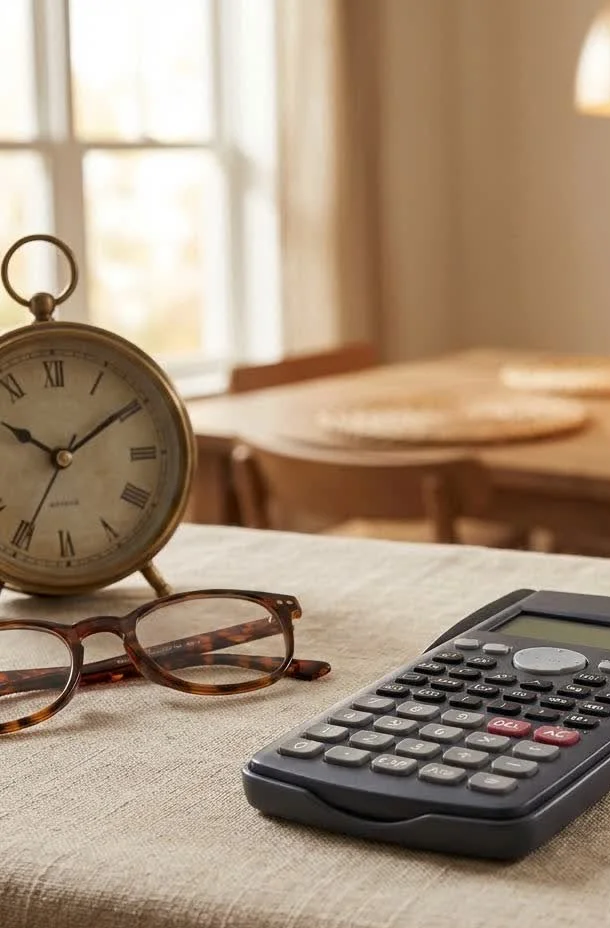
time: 10:09
